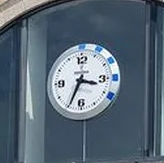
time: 3:34
